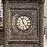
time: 4:57
